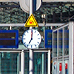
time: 7:01
